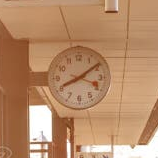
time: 8:09
